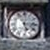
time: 5:15
